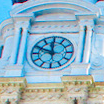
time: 11:48
